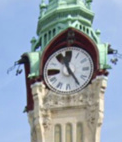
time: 11:24
